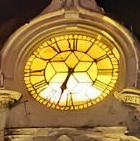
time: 6:32
